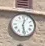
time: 12:28
